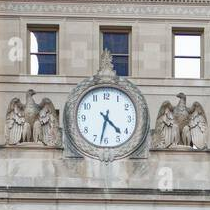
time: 4:31
